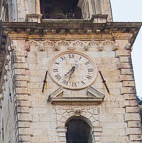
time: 7:33
